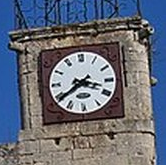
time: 3:39
